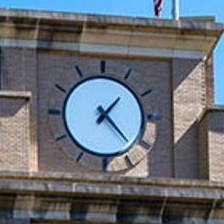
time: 1:22
